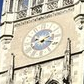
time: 2:18
